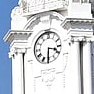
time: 3:30
